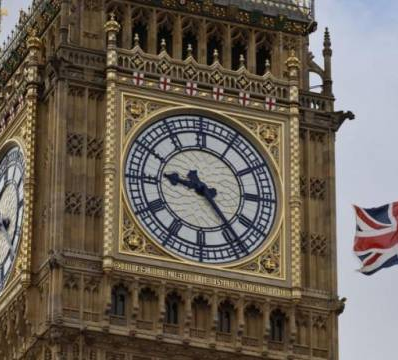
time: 9:23
